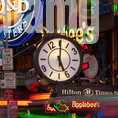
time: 5:00
